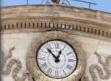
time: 12:52
